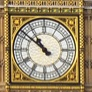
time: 10:51
